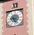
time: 9:26
